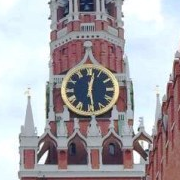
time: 12:28
